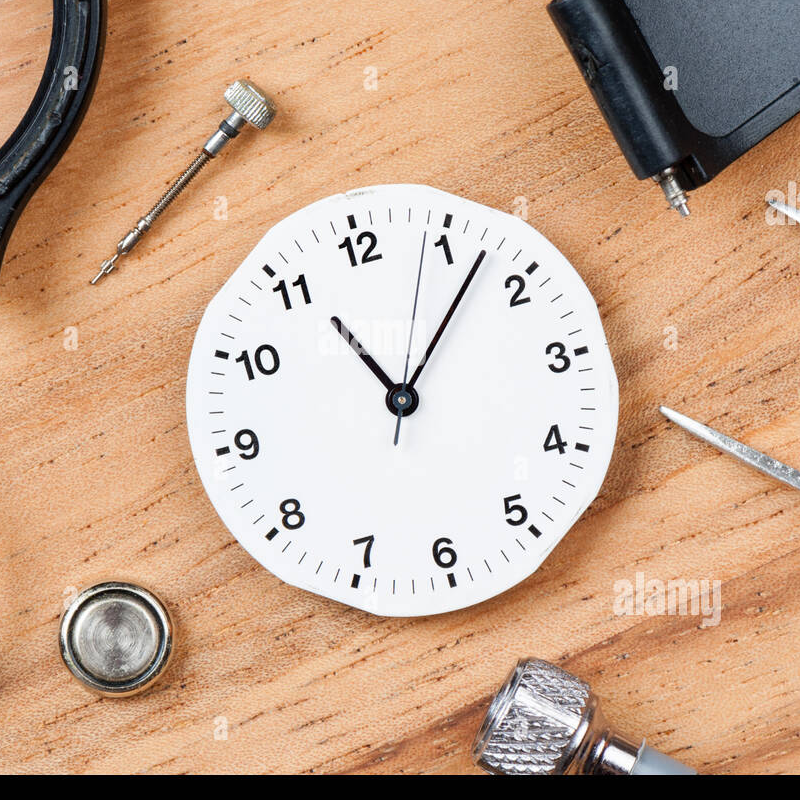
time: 11:07
